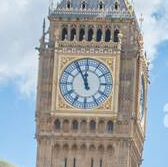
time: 11:55
